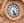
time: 5:24
